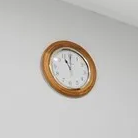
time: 11:00
